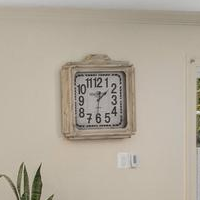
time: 1:31
